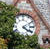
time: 4:10
